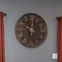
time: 10:00
